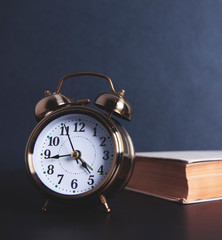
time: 4:43
